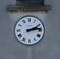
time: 2:13
